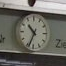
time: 10:34
